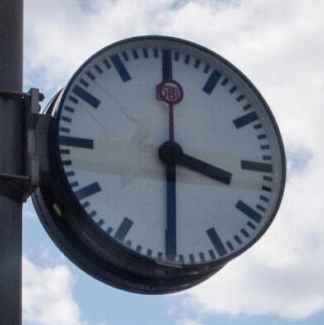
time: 3:29
